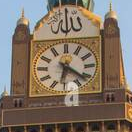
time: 6:21
